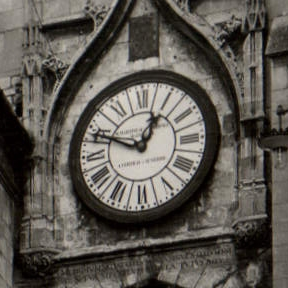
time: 12:49
